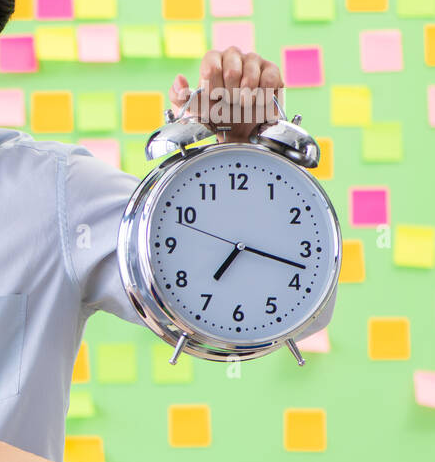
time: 7:17
